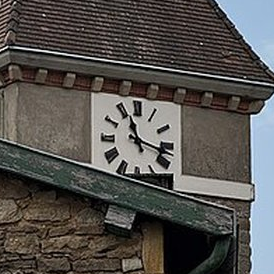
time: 11:17
